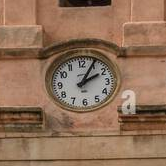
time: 2:04
